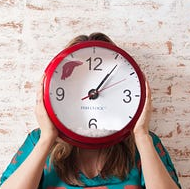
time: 1:06
